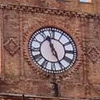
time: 11:25
